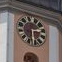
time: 2:29
